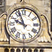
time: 9:56
